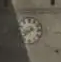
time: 8:38
